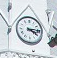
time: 4:14
